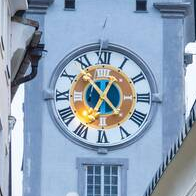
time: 12:53
